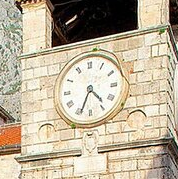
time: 4:34
